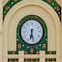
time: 6:28
